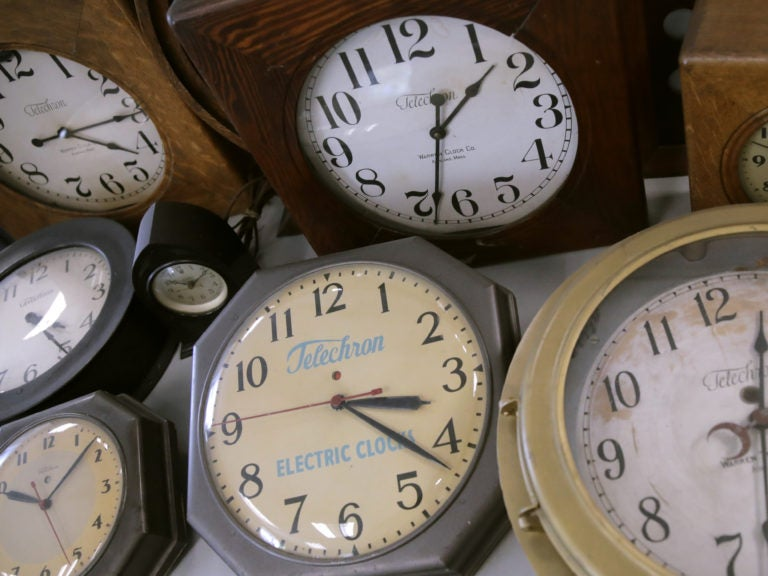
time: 3:21
